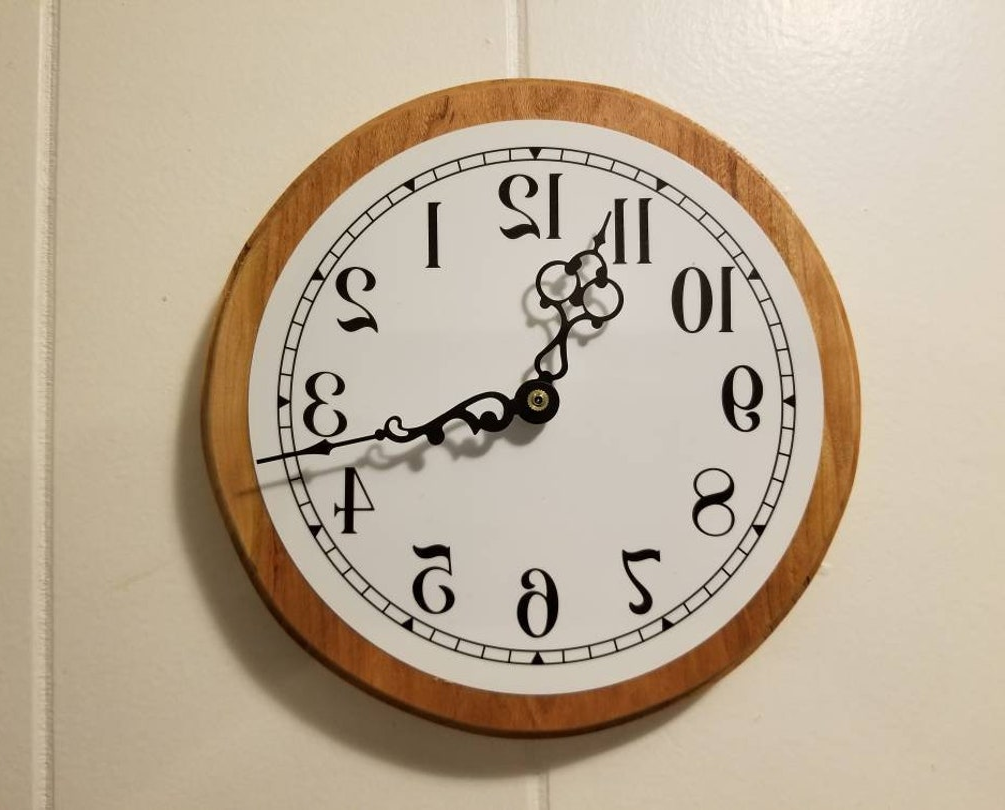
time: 12:42
